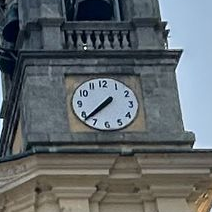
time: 7:37
